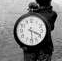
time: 3:29
